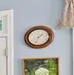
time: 1:33
